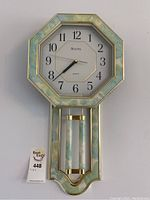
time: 7:38
